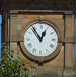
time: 12:54
